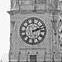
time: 2:12
